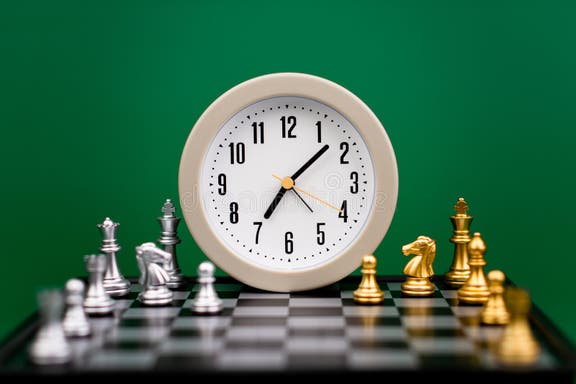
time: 7:07
